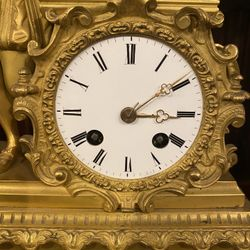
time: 3:09
